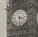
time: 3:30
